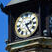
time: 2:25
